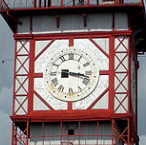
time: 3:16
